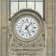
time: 1:26
